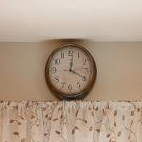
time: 12:19
